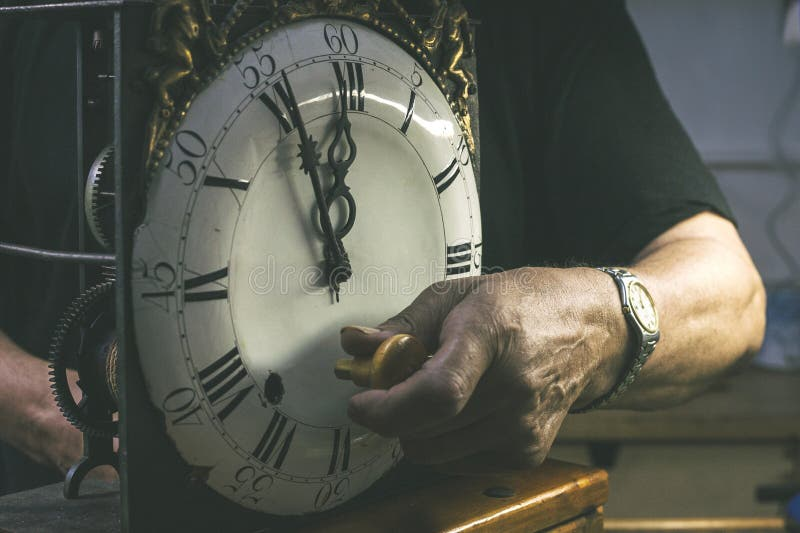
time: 11:56
